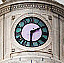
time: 2:30
